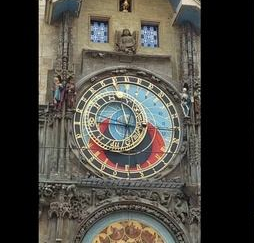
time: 11:46
